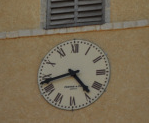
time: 4:42
